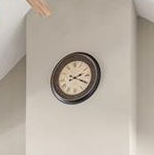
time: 2:19
